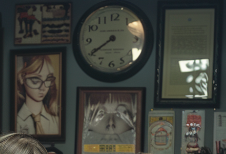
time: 7:39
